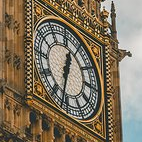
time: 12:32
